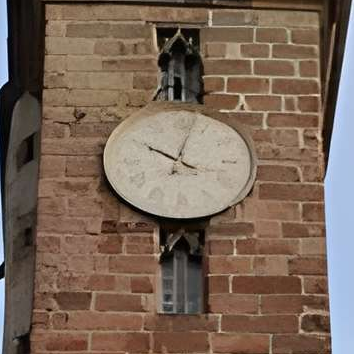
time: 10:02
